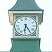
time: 6:24
